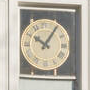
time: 10:05
